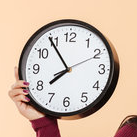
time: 7:54
